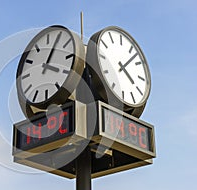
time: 4:07
